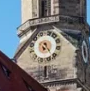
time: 6:22
